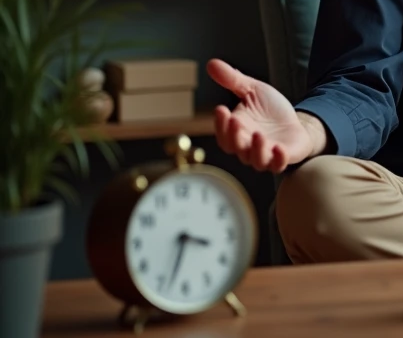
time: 3:33
